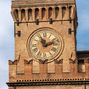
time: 11:11
